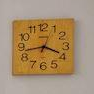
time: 3:43
